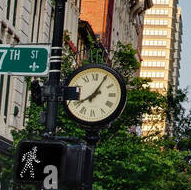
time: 8:05
